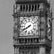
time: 7:40
